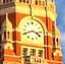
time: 3:40
